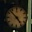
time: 4:52
